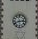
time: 2:40
